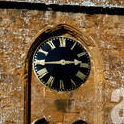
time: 2:44
